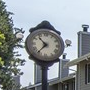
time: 10:36
